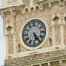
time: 5:24
